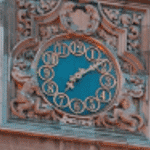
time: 7:09
